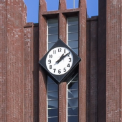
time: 1:09
